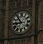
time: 8:53
